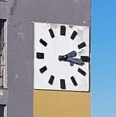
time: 2:16
